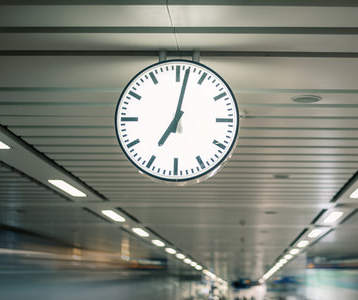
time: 7:01
